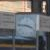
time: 3:46
